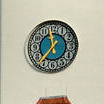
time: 11:36
